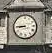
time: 8:45
